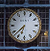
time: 6:37
